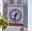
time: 1:32
